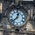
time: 12:37
